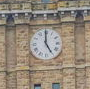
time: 4:59
